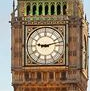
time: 9:12
